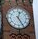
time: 12:24
